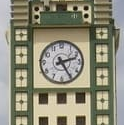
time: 2:24
